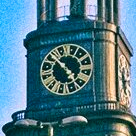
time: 10:23
